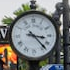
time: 3:23
